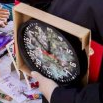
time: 12:52
